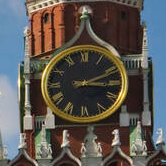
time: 3:11
